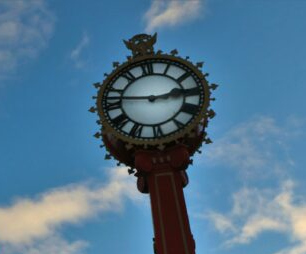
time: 2:46
